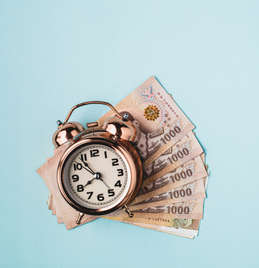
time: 7:53
